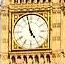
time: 4:57
